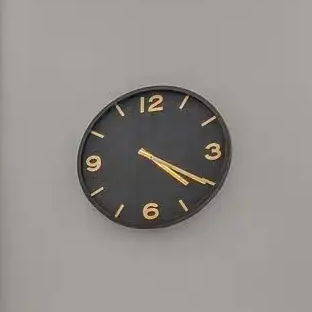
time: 4:20
